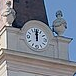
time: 12:00
